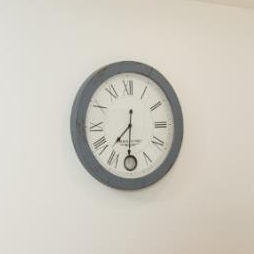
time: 7:30
